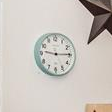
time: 9:14
